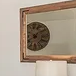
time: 8:07
